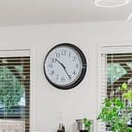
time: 10:24
